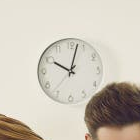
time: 10:02
